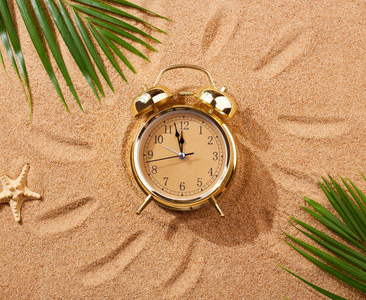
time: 11:57
